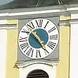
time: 10:24
